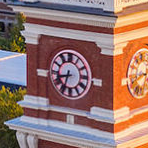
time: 8:33
